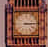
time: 3:14
